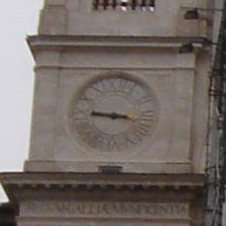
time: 9:17
